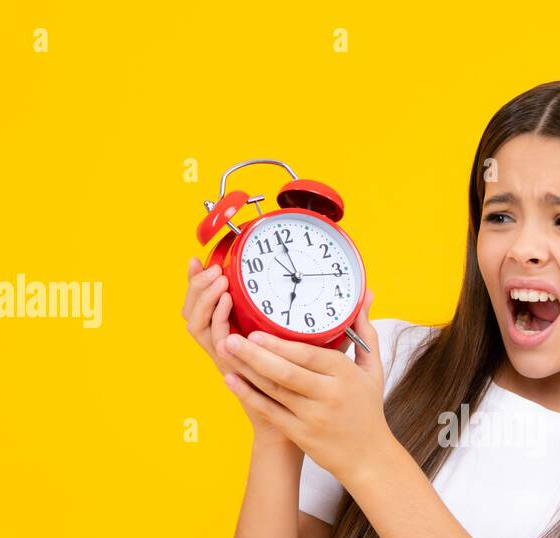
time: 6:59
